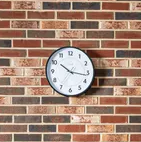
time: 10:16
